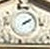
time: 2:09
